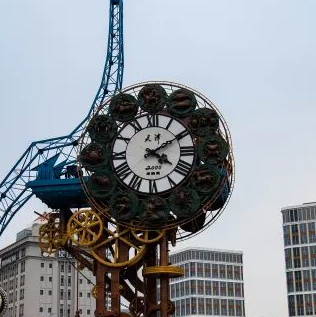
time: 4:07
